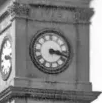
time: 3:17
